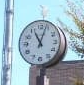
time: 11:03
